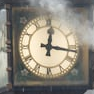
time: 12:16
